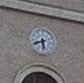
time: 5:41
